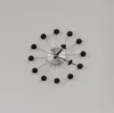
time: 1:19
